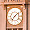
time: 7:08
